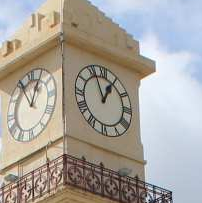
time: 12:56
